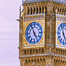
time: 4:55
